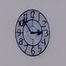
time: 2:52
